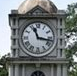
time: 11:17
